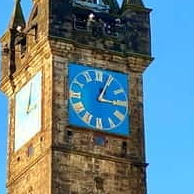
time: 3:04
